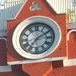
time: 7:09
